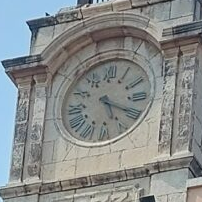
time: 5:19
